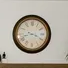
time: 3:42
